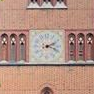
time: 2:18
